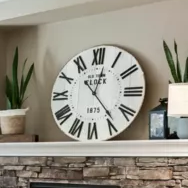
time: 12:23
